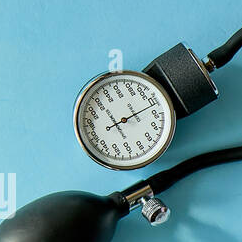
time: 8:11
